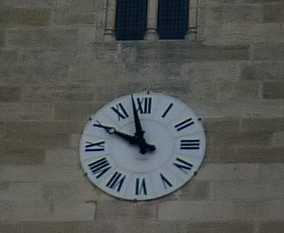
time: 9:57
